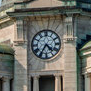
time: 4:35
